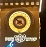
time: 7:51
